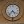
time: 4:36
